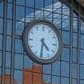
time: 4:31
